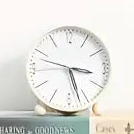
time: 3:27
